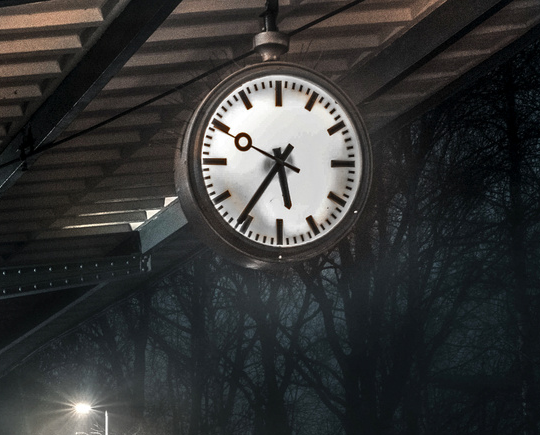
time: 5:35
